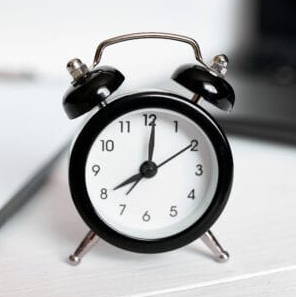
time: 8:01
